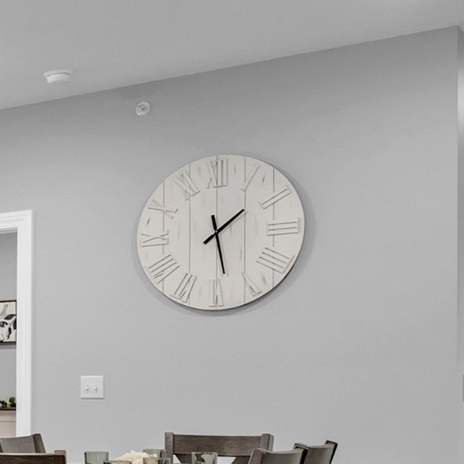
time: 1:28
